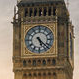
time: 5:22
